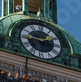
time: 1:46
